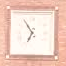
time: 6:54
